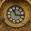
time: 11:16
